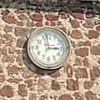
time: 2:58
